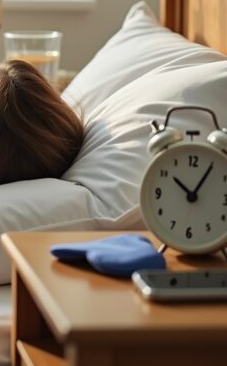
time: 10:05
